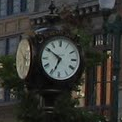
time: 6:50
